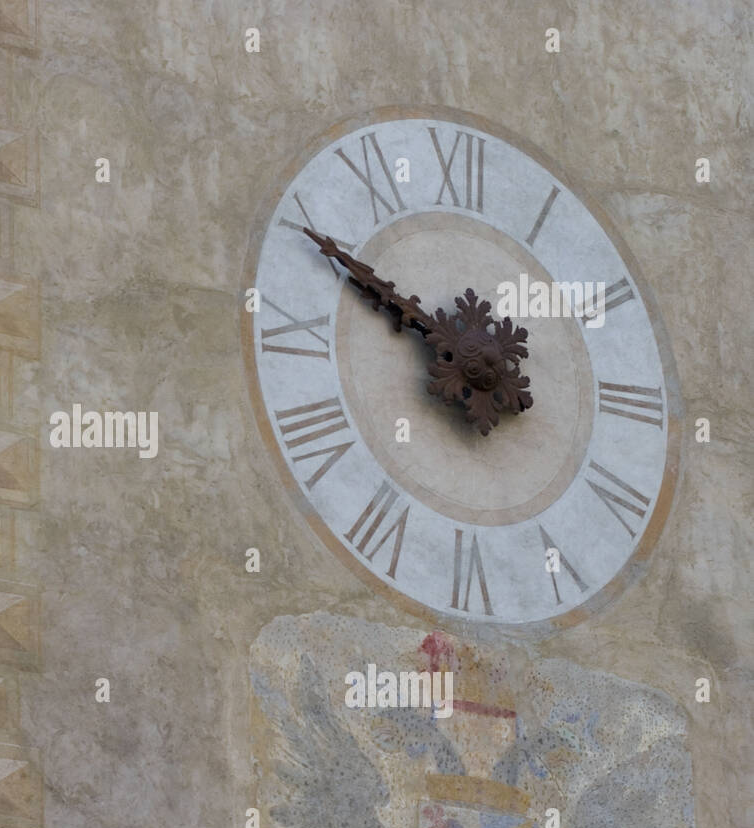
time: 9:49
